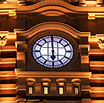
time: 5:59
